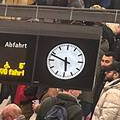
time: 5:48
